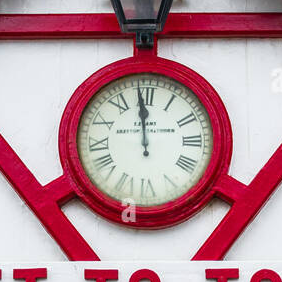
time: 11:58
